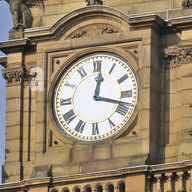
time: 12:17
